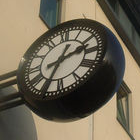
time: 2:34
